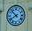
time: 7:52
